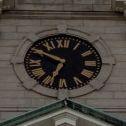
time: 6:49
